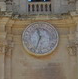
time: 11:33
